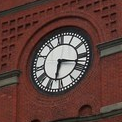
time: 6:17
